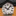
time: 10:07
